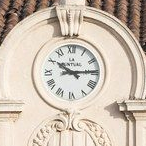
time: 10:14
